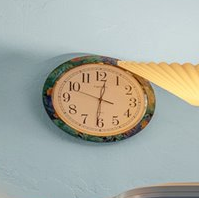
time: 6:01
